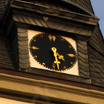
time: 4:28
